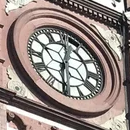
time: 12:30
